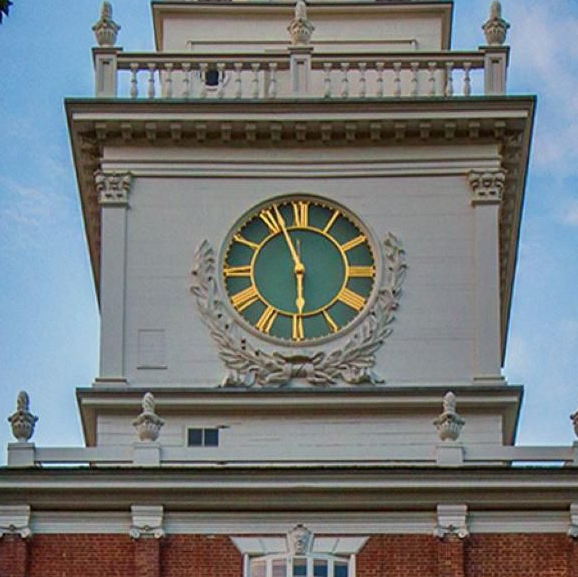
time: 5:56
